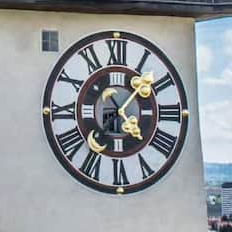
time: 4:07
